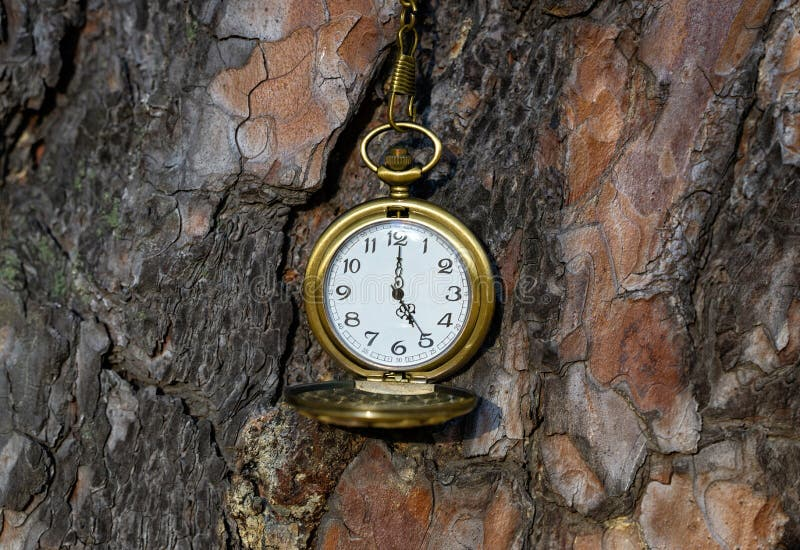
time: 5:00
